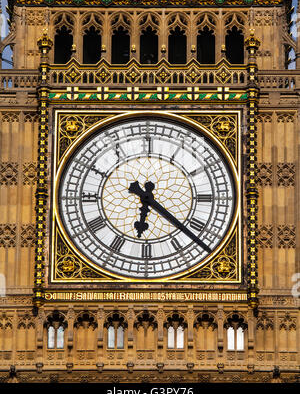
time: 6:21
